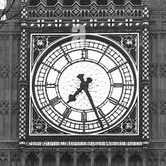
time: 7:26
